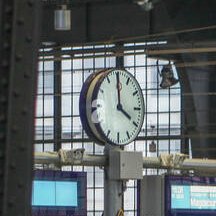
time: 3:59
